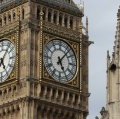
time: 5:06
